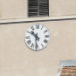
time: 10:31
